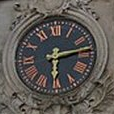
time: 6:13
